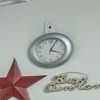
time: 4:04
